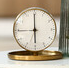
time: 5:59
